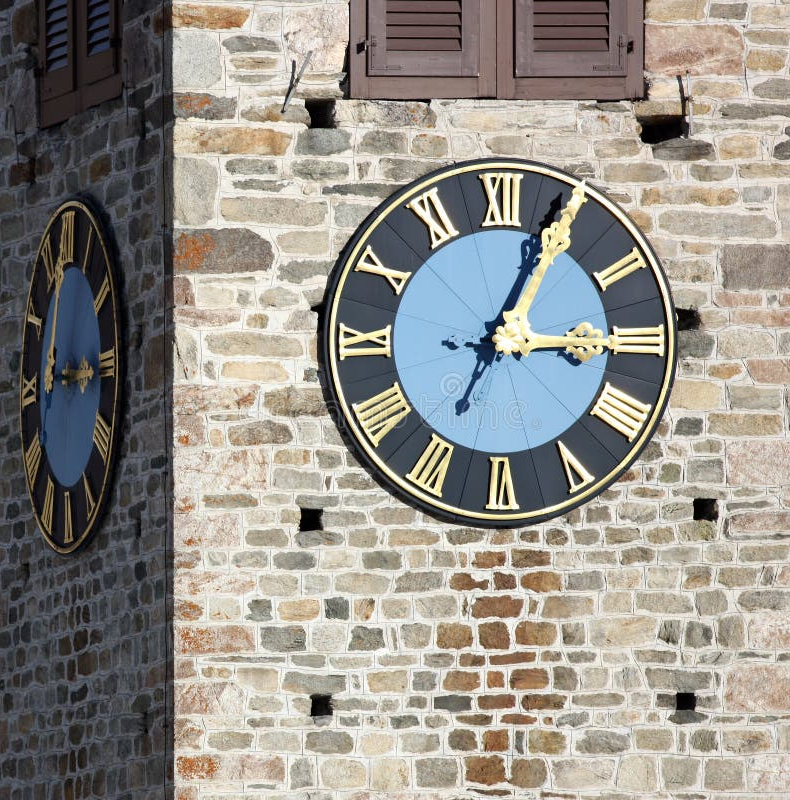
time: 3:04
